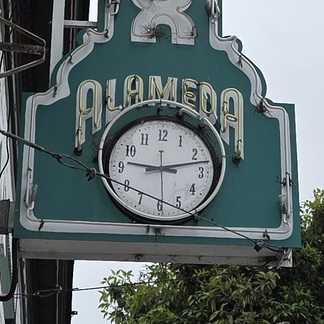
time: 9:12
